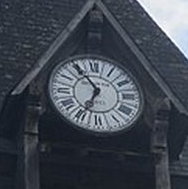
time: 6:54
